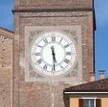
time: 5:29
